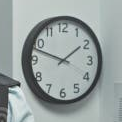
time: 1:47
